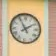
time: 1:55
